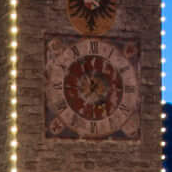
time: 6:56
